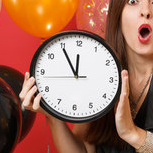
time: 11:54
